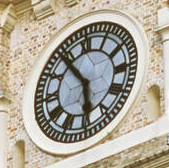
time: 5:53
